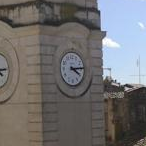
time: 4:14
